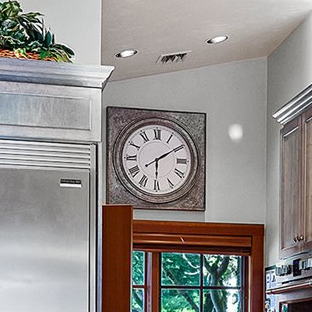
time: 6:09
